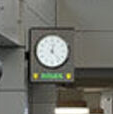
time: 12:23
